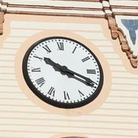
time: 10:19
